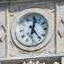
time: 12:23
